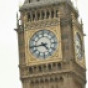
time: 4:43
